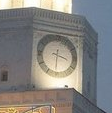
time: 3:30
